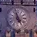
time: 4:57
